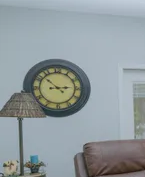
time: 2:52
